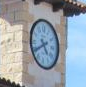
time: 4:40
